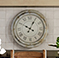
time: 10:04
